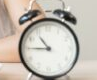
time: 10:45
